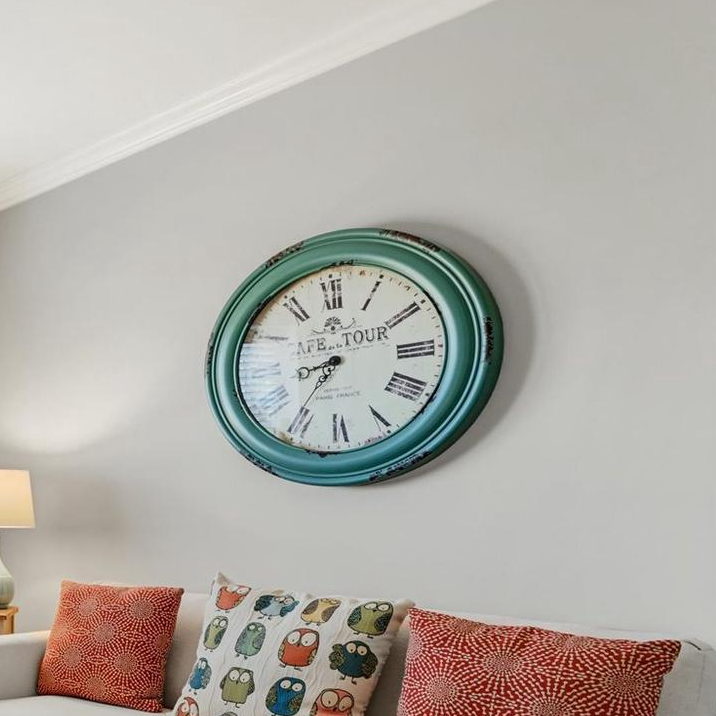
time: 8:35
